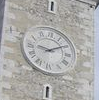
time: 9:10
